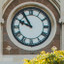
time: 9:54
